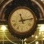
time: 11:13
